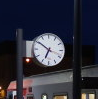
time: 6:50
